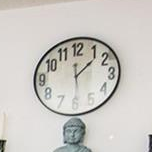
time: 1:29
